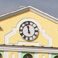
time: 11:57
